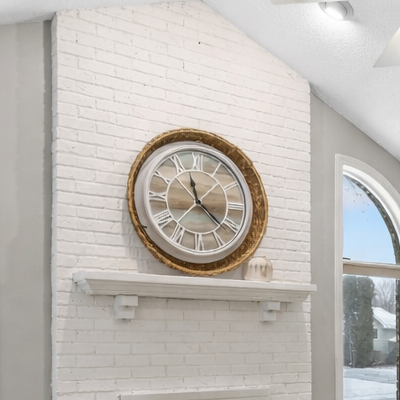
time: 11:21
